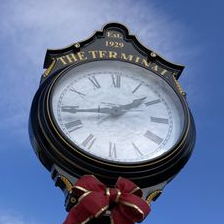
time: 1:43
